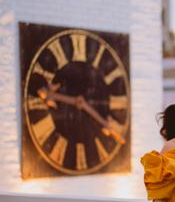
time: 9:20
